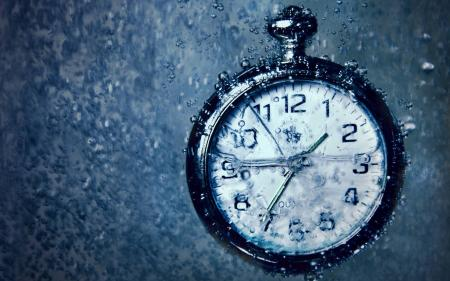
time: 1:35
